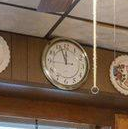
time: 11:56
